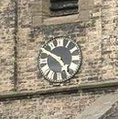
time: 4:49
